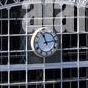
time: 11:13
